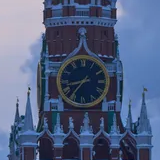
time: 8:36
